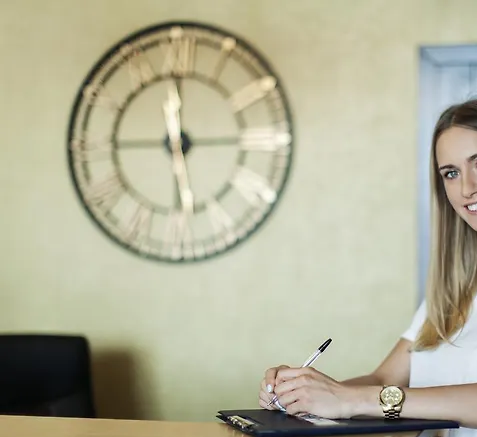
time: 11:45
